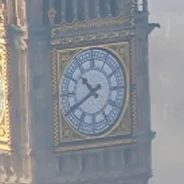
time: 10:40
